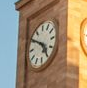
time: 4:50
